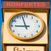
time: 8:57
